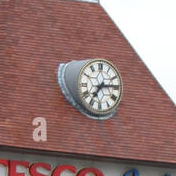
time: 7:14
